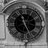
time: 11:25
